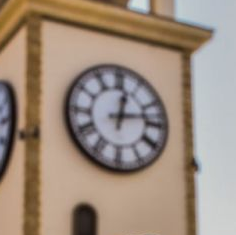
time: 12:13
